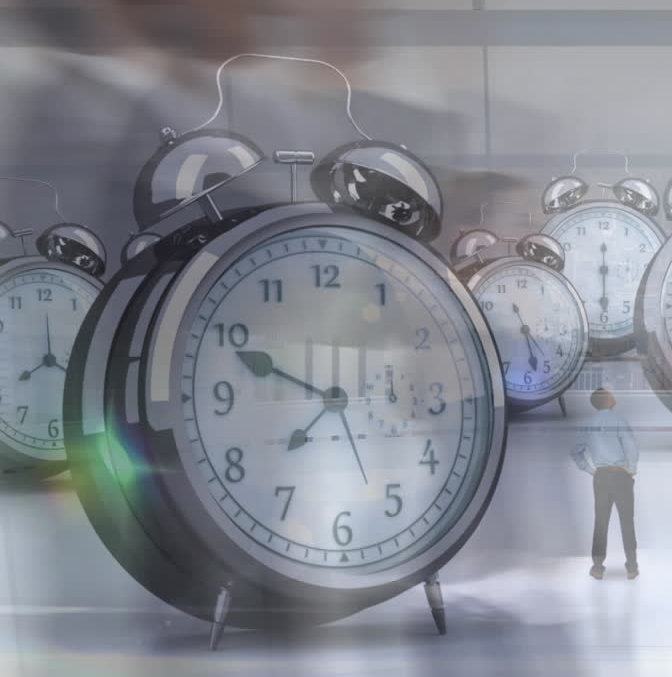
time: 7:49
